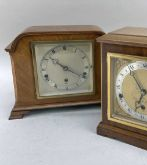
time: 10:20
